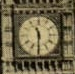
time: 11:30
